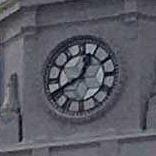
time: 12:40
